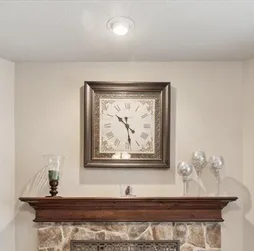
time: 10:28
